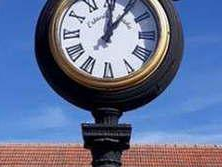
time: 12:05
